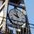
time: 9:57
